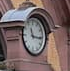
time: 11:16
